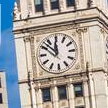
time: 11:52
